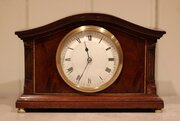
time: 11:34
